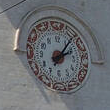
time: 2:06
